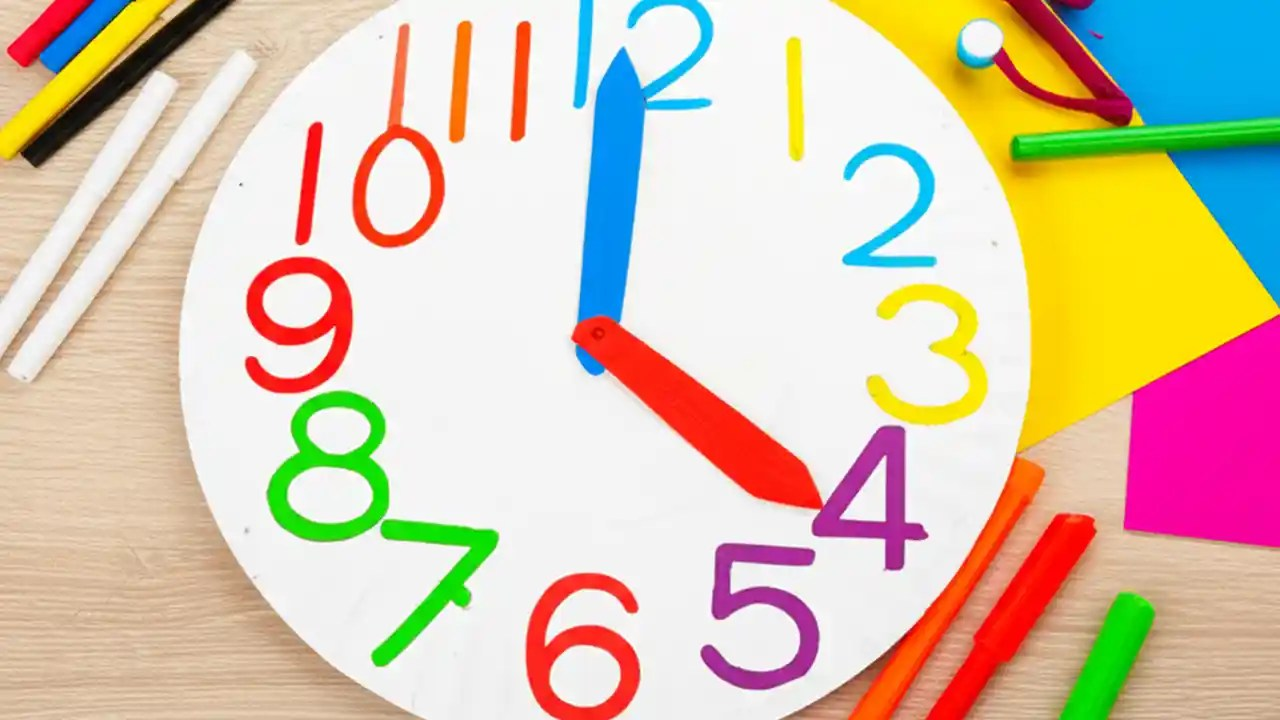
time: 4:00
